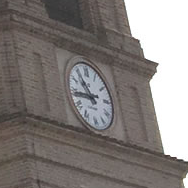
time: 10:43
